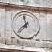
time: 11:37
